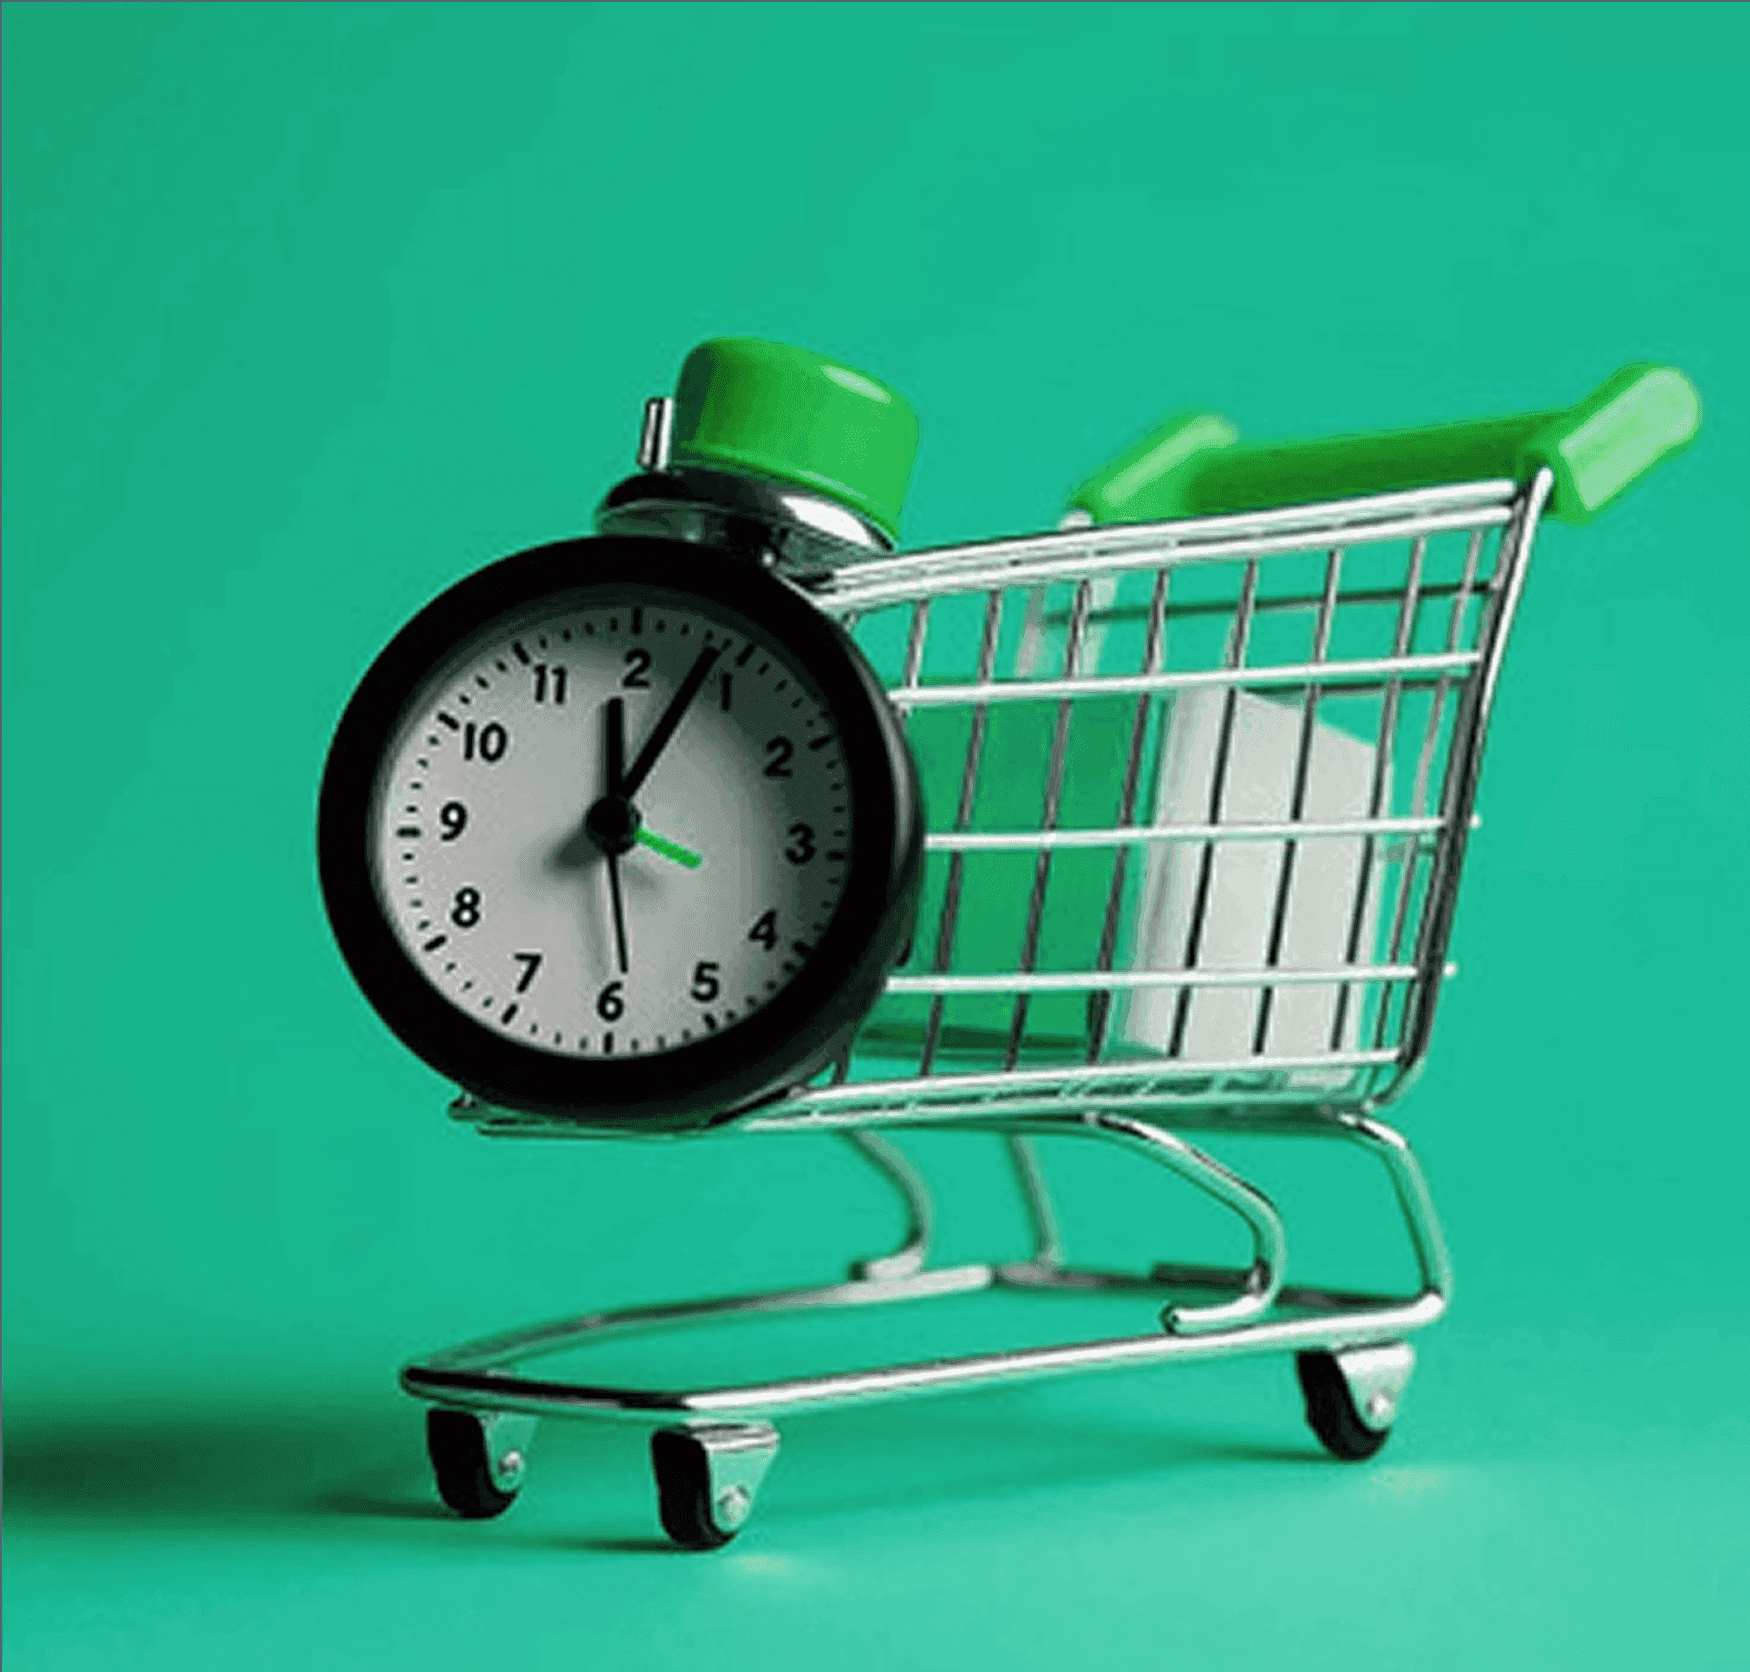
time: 12:03
